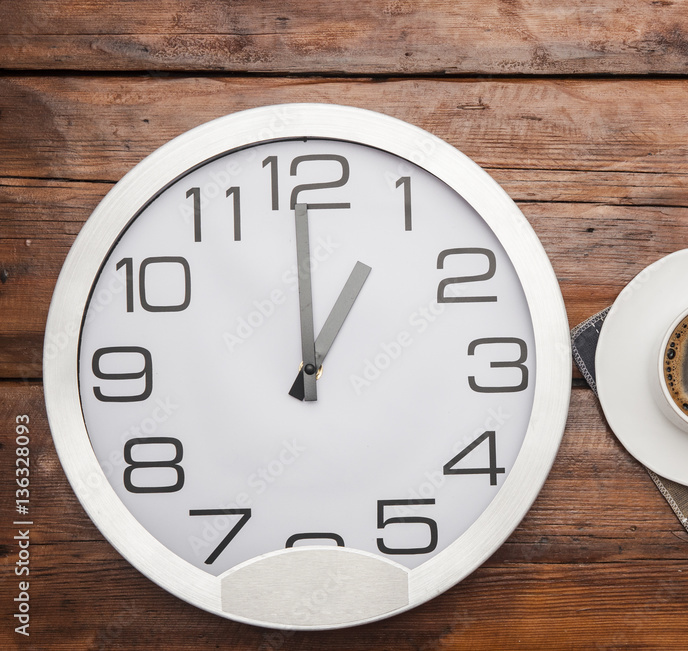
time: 1:00
